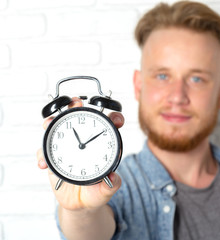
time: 11:09
